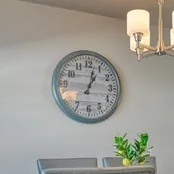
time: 1:02
